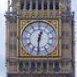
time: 12:30
